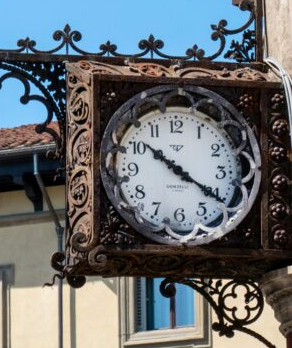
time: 10:20
